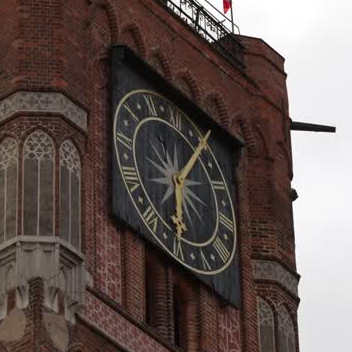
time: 6:06
